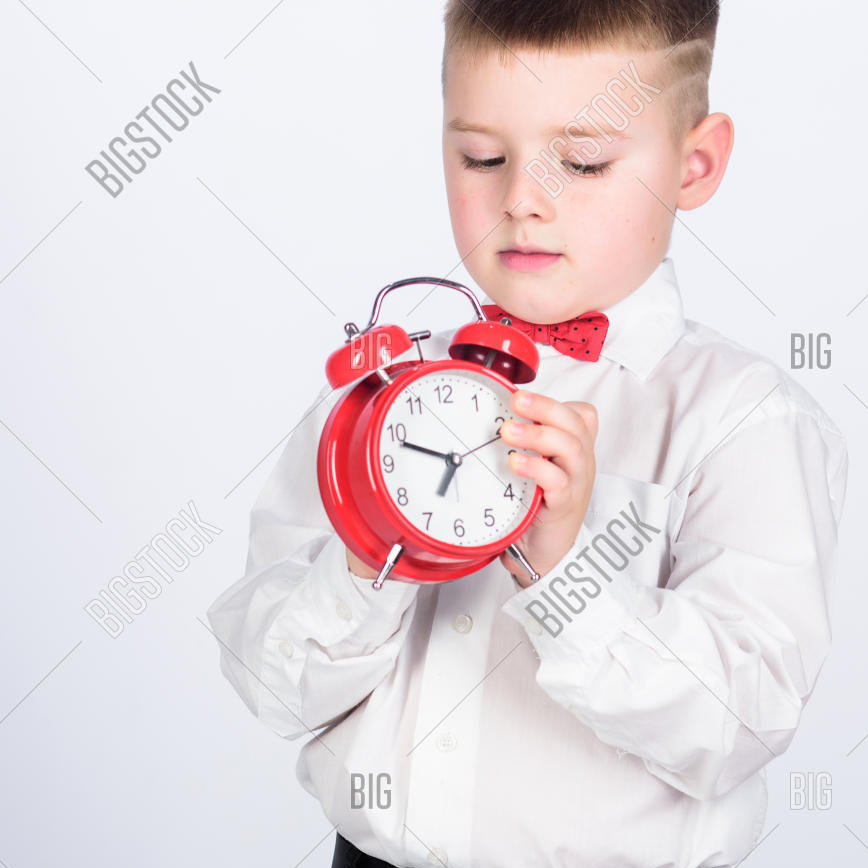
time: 6:48
